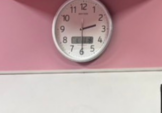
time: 2:29
